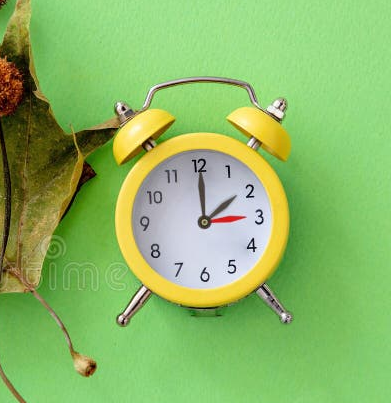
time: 2:00
